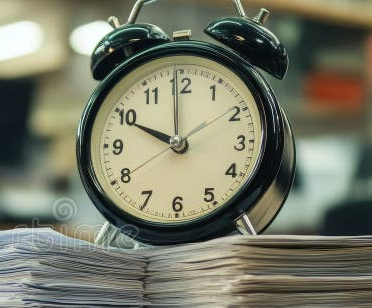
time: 9:59
